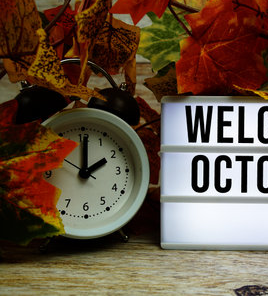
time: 2:00
